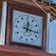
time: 12:16
